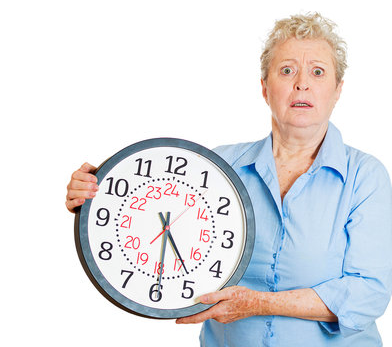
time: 4:29
